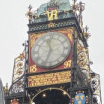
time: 11:33
